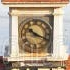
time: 10:18
